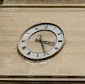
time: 3:26
